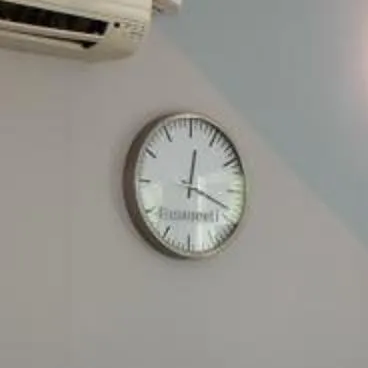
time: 12:18
